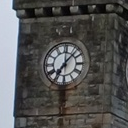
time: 7:07
